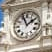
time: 1:56
